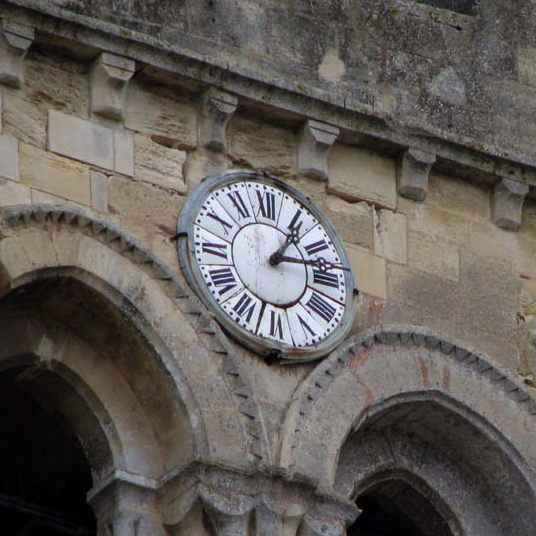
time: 1:13
